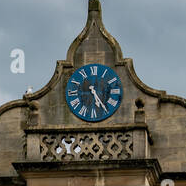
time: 5:24
